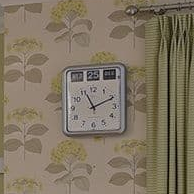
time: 11:11
